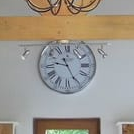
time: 9:25
